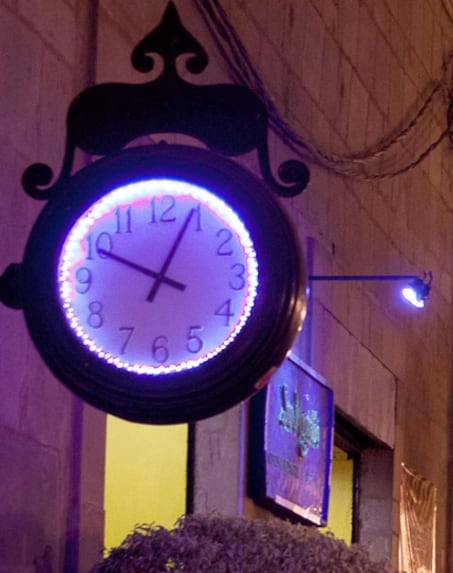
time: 12:49
